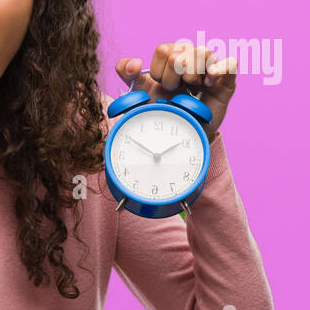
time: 1:50
